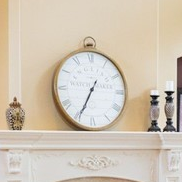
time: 6:34
